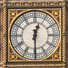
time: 12:29
